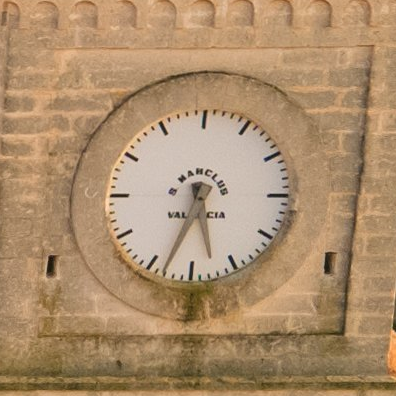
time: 5:33
